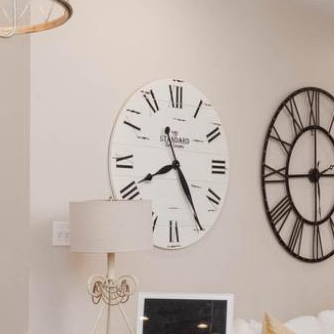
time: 8:24
